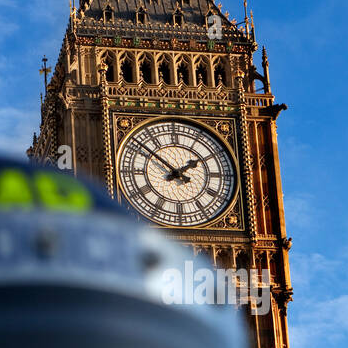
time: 1:51
